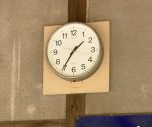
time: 1:35
